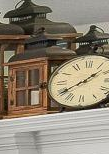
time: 1:39
